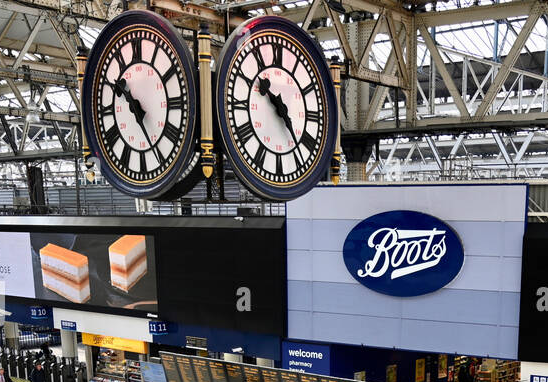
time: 10:24
